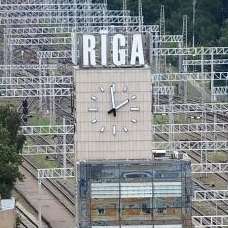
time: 1:59
